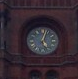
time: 5:03
